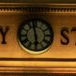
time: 5:57
